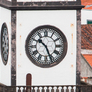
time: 10:26
